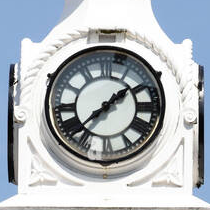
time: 1:37
